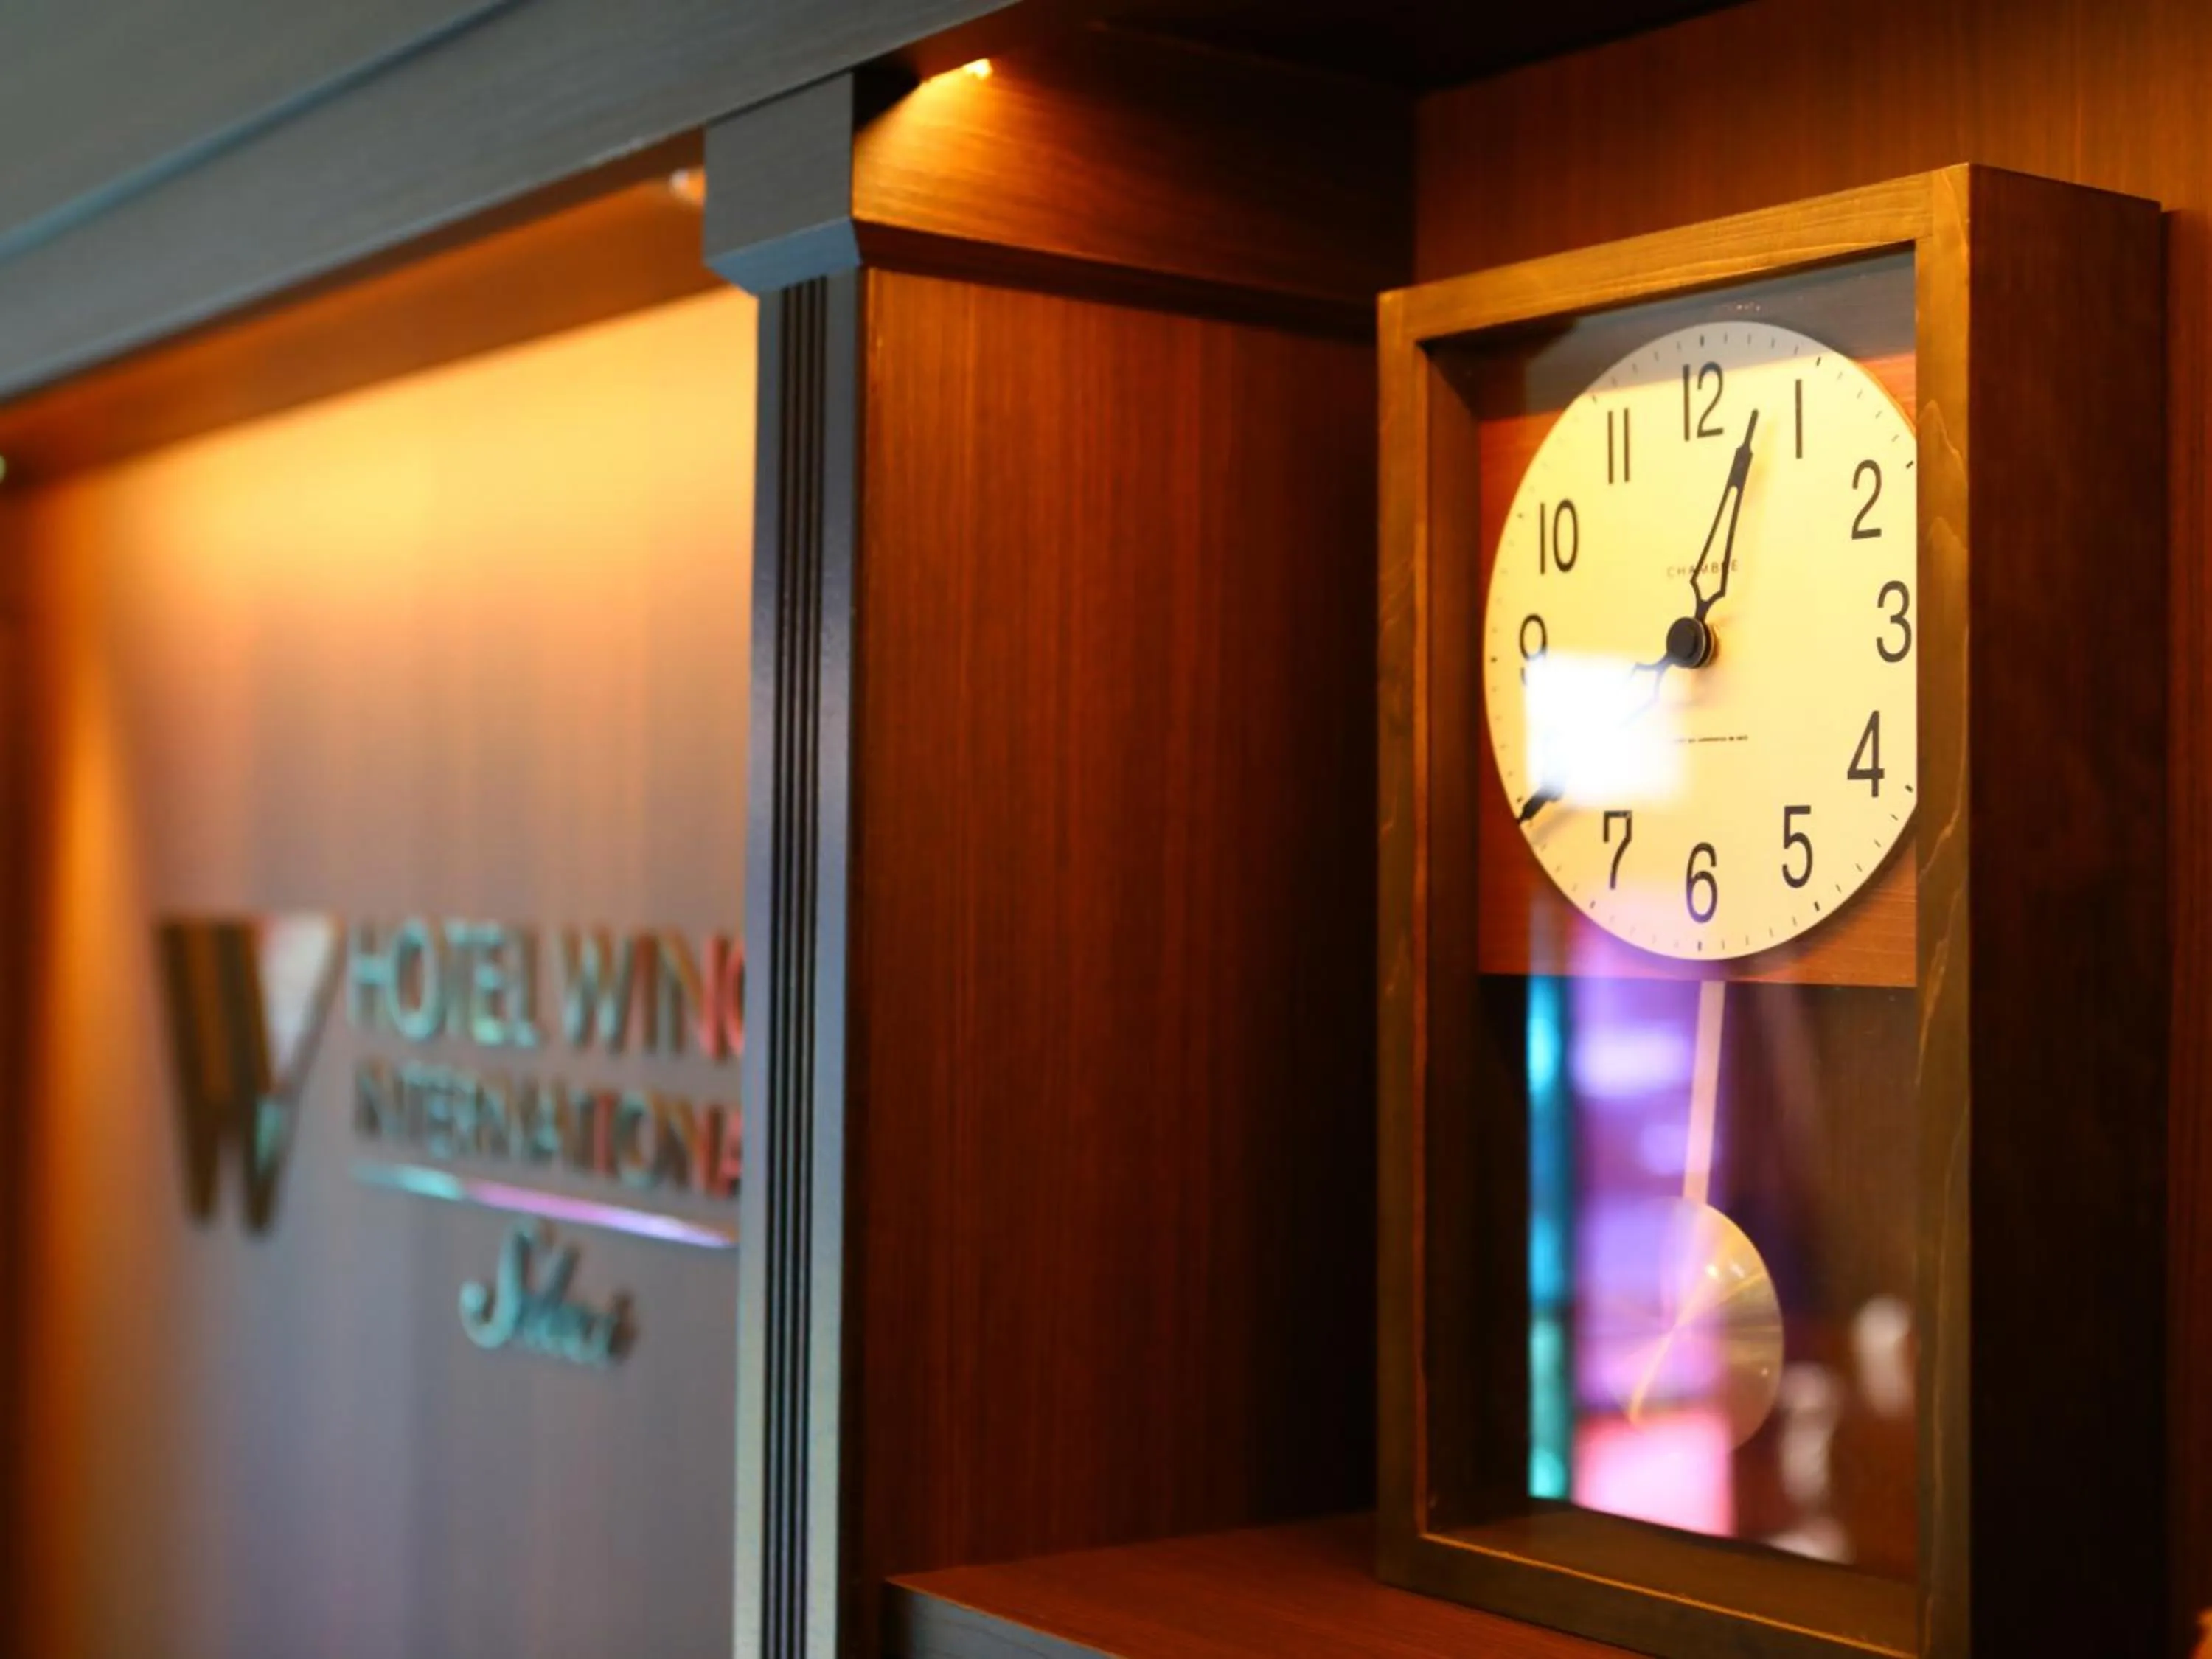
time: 9:03
